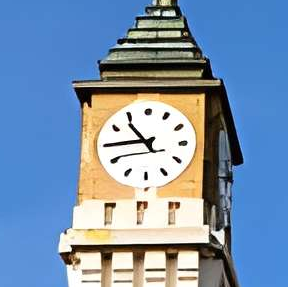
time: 10:44
